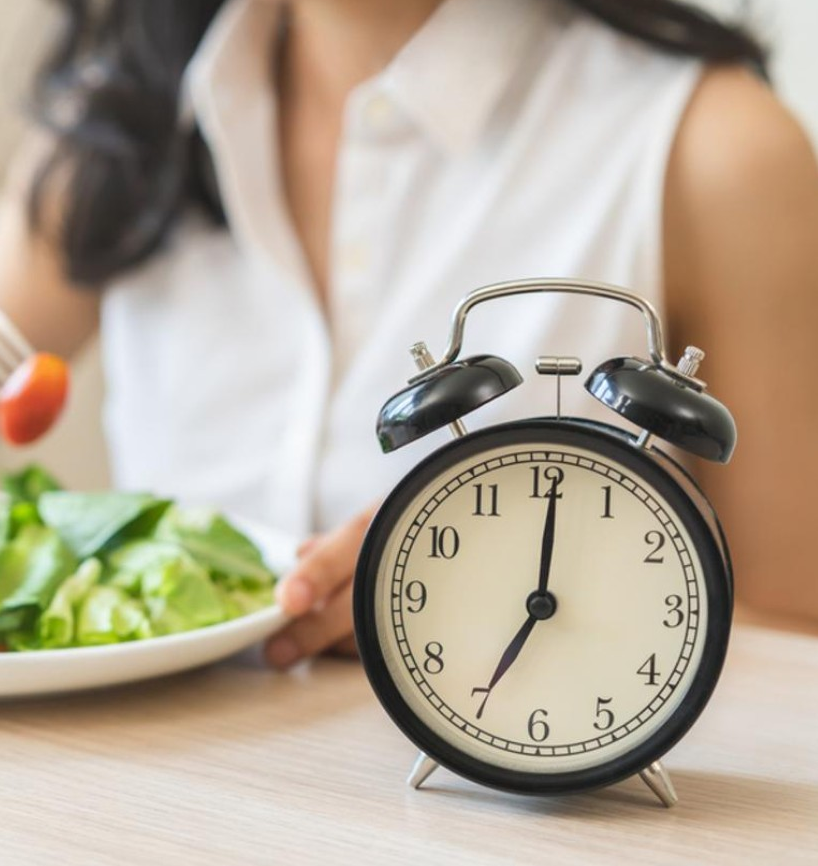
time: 7:00
